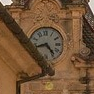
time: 4:42
